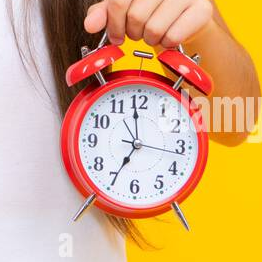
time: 6:59
